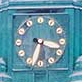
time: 3:33
